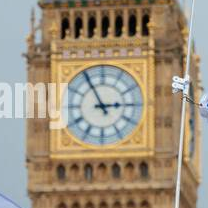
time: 2:55
